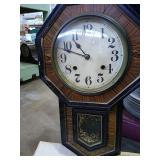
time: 10:48
